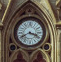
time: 3:40
